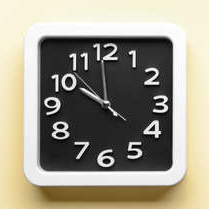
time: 9:59
